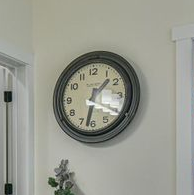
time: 1:32
